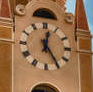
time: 12:24
